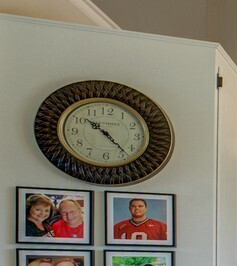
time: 10:23
